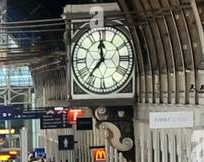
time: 11:36
